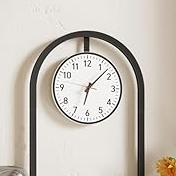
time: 6:07
